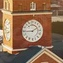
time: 1:44
